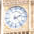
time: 2:23
